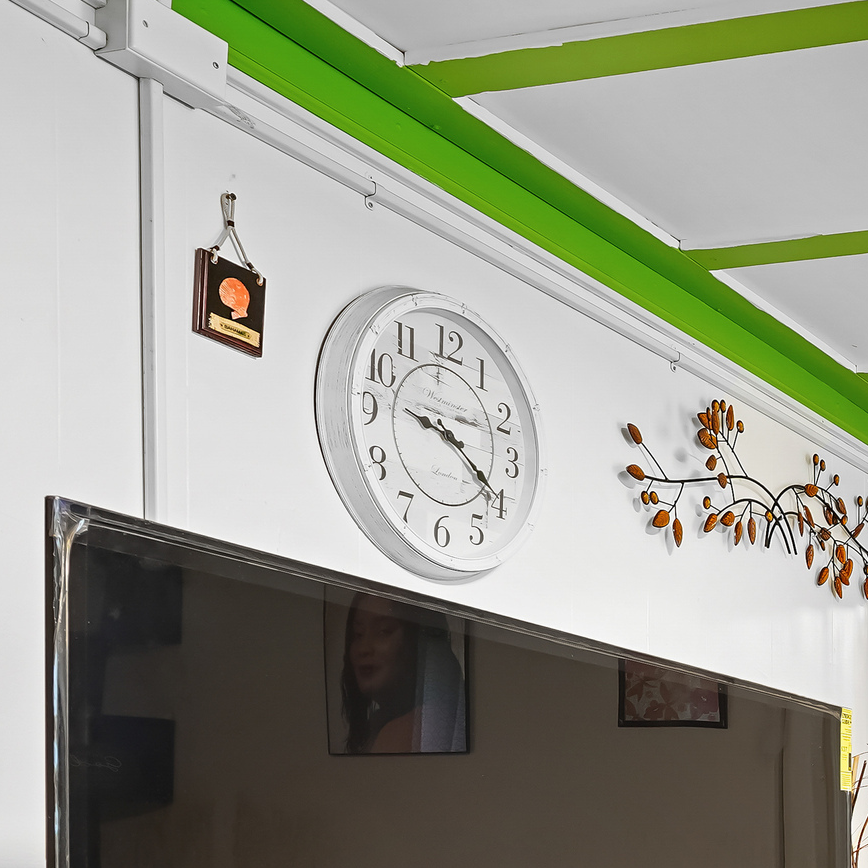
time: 9:20
